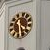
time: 10:28
